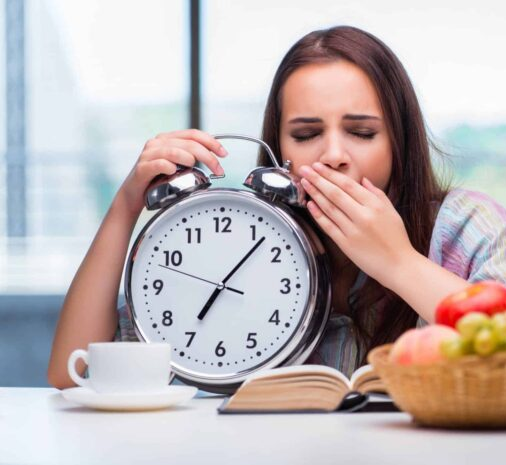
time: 7:07
